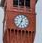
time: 12:34
